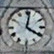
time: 4:02
